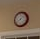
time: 8:07
